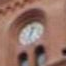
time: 12:32
